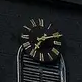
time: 7:11
